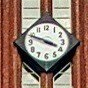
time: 3:48
